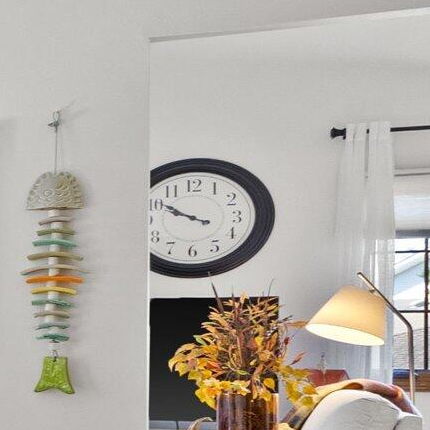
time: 9:50
